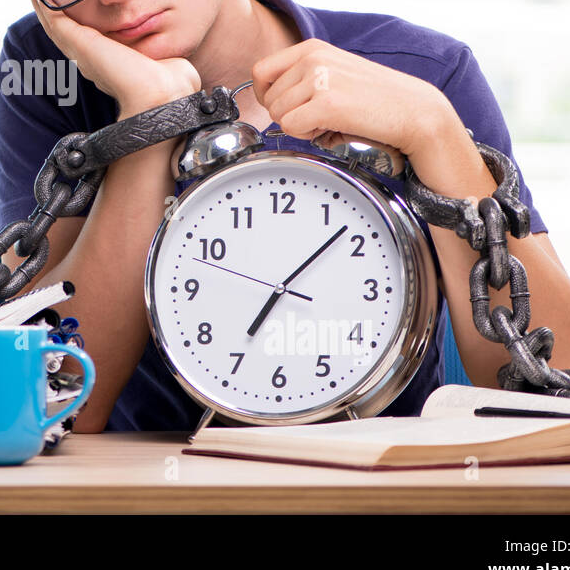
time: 7:07
